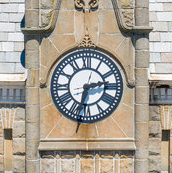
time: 2:32
